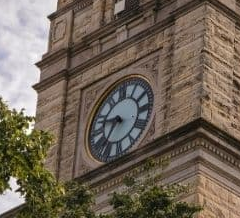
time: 9:35
